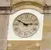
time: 2:50
